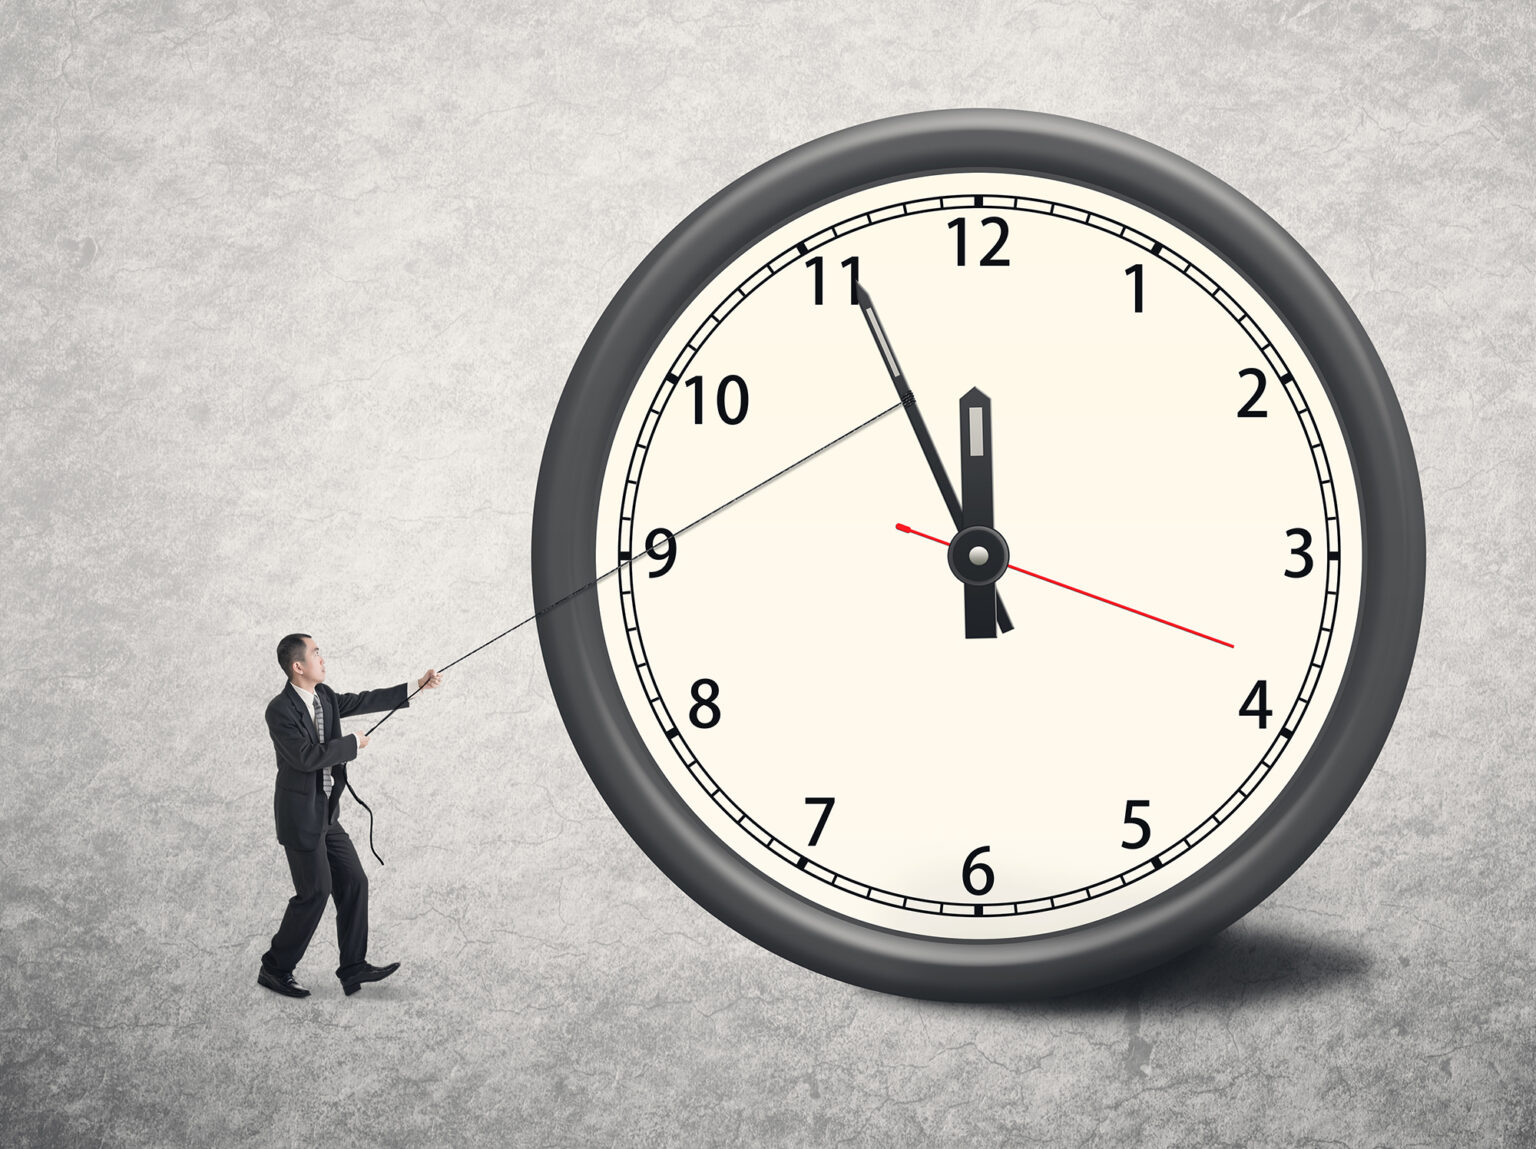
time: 11:55
